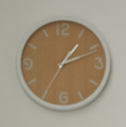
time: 1:11
